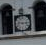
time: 9:15
